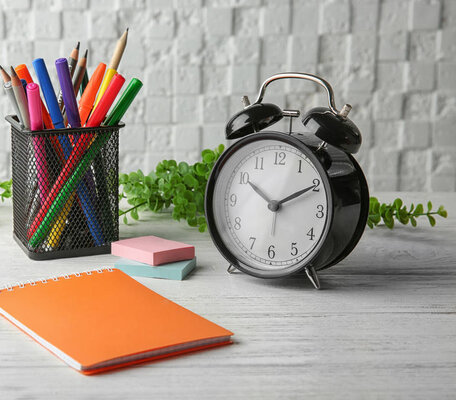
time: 10:10
